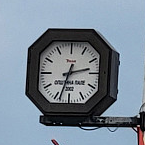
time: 2:33
